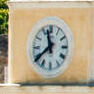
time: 11:38
